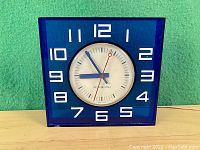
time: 8:54
